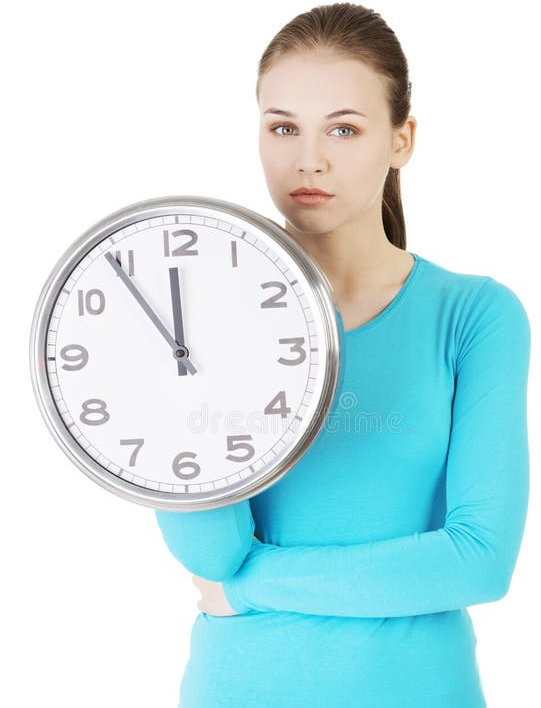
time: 11:54
